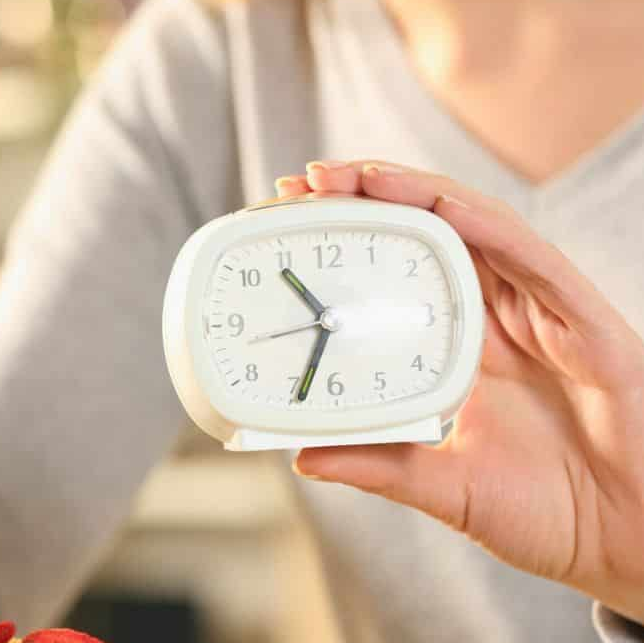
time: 10:33
